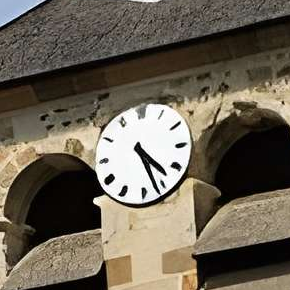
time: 4:26
